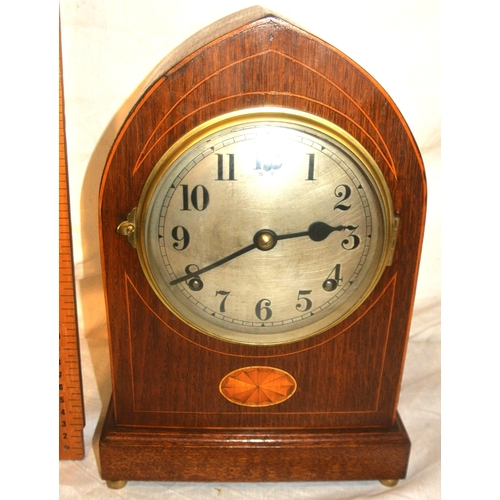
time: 2:40
